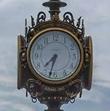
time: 7:32
